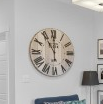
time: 11:00
